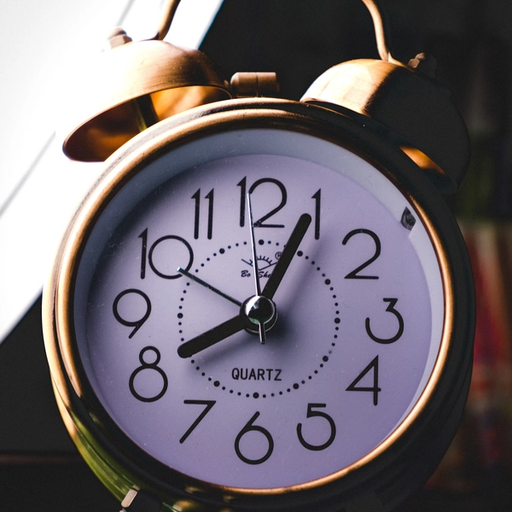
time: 8:04
